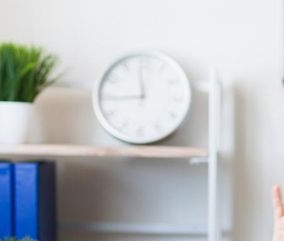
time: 11:44
